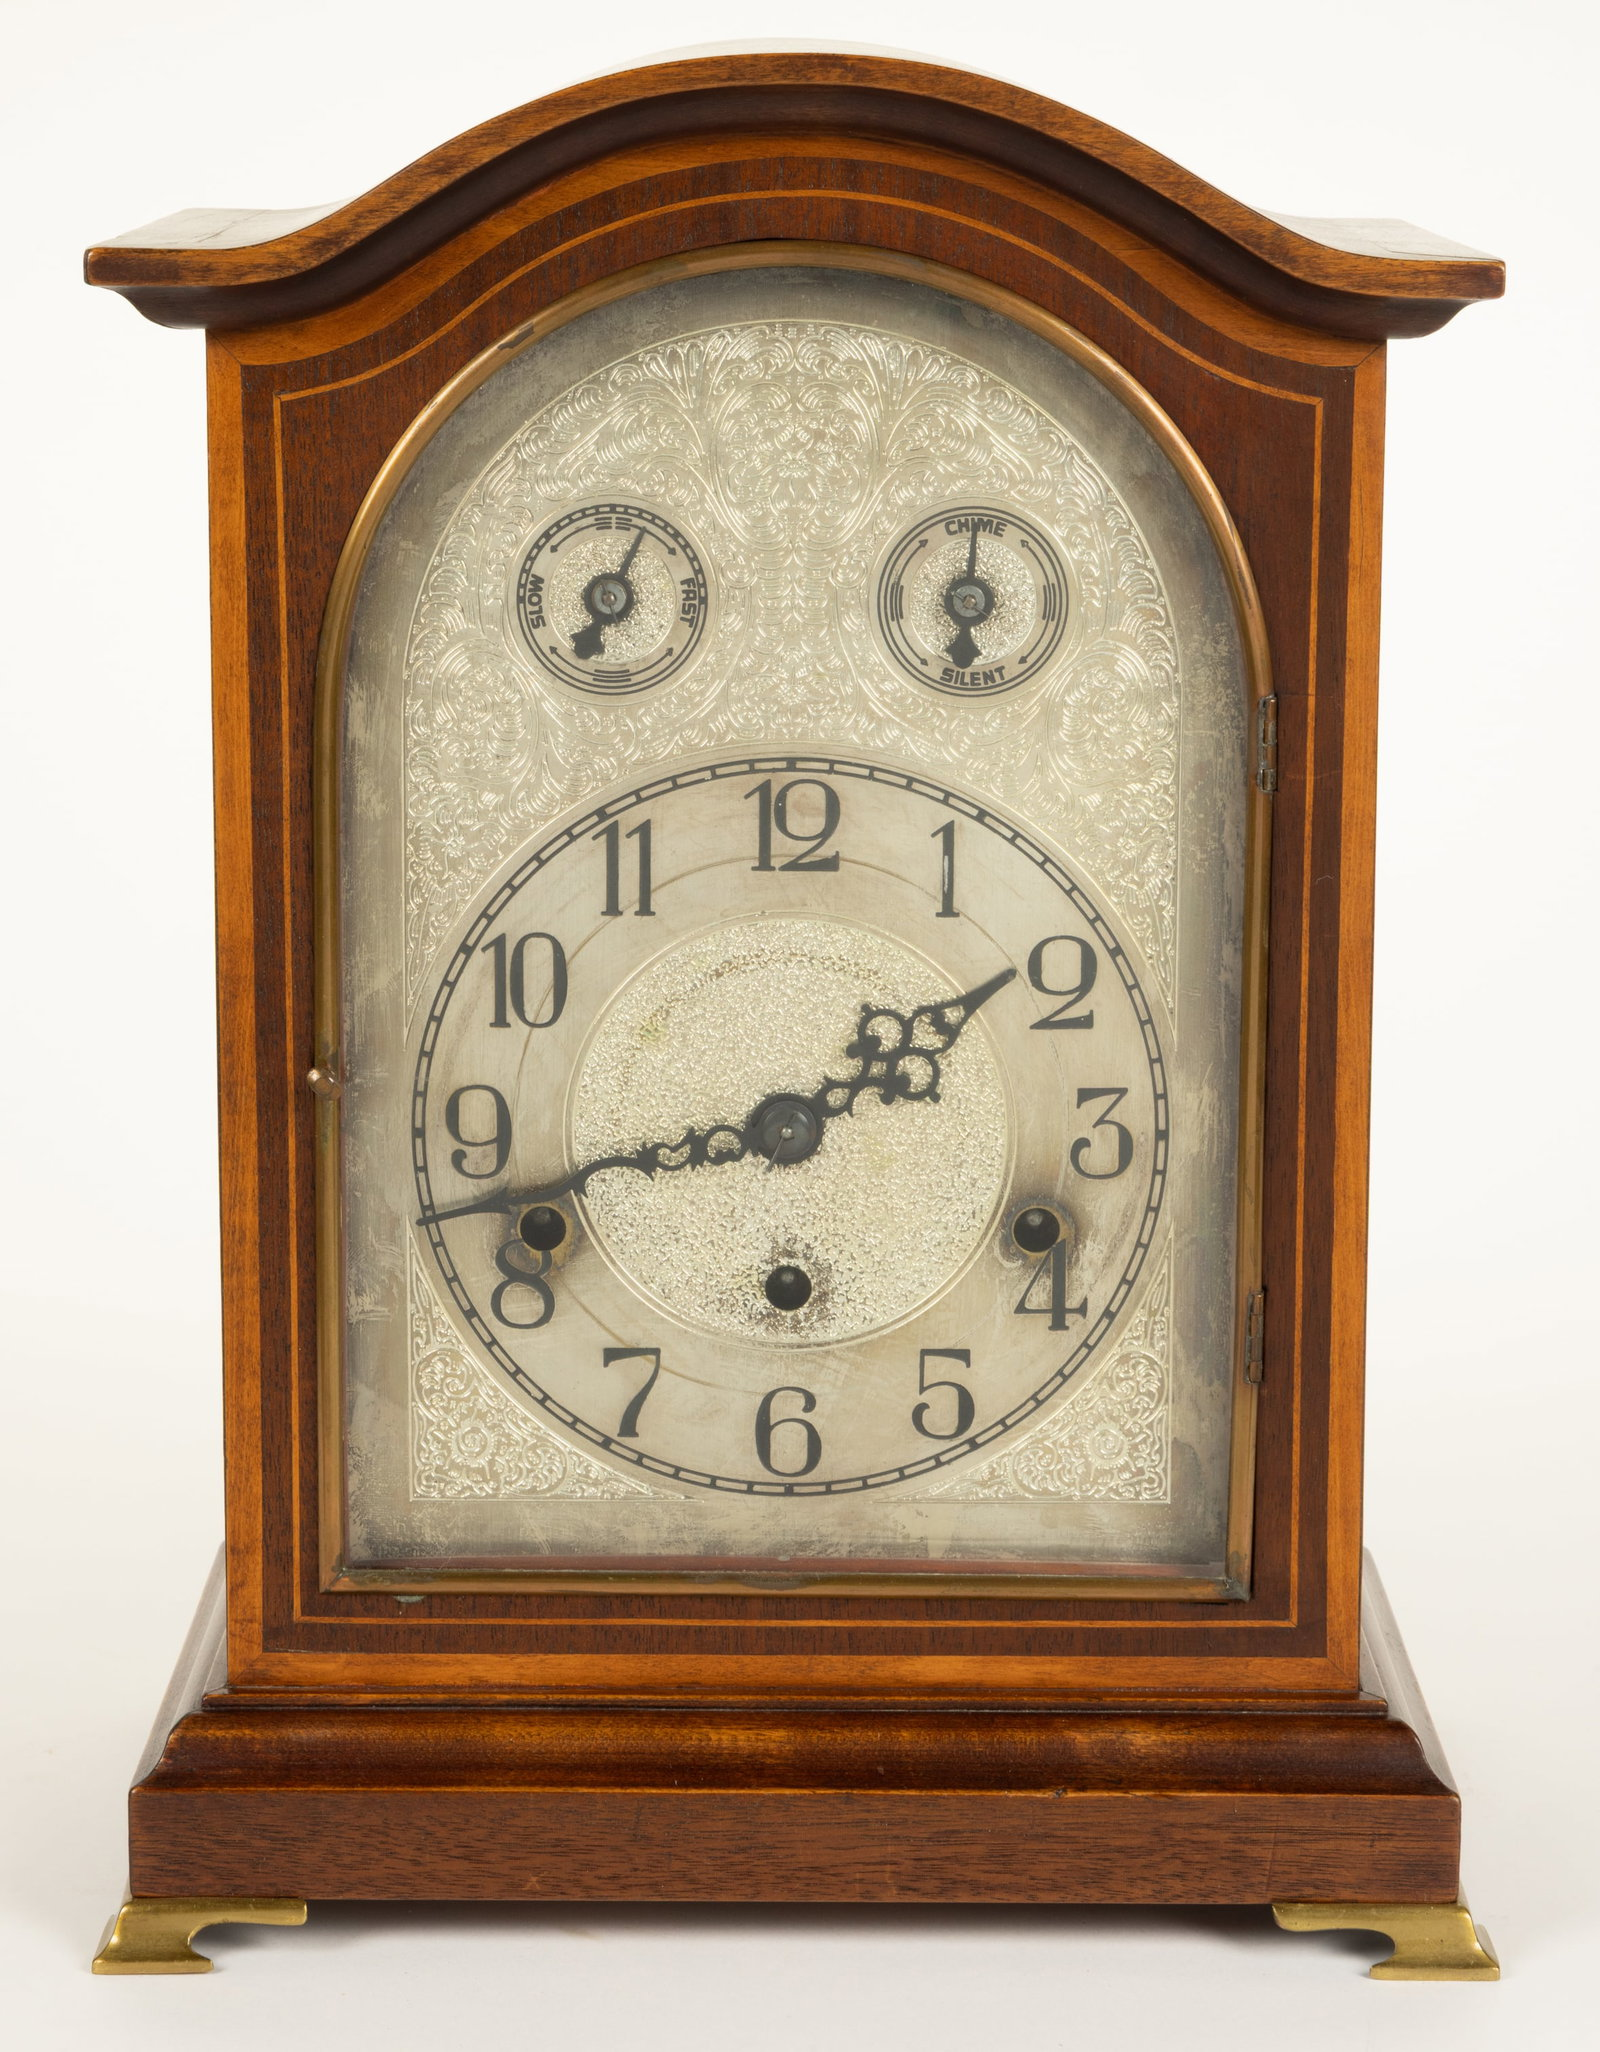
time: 1:42
